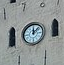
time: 12:07
